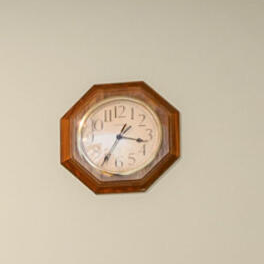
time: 3:35
